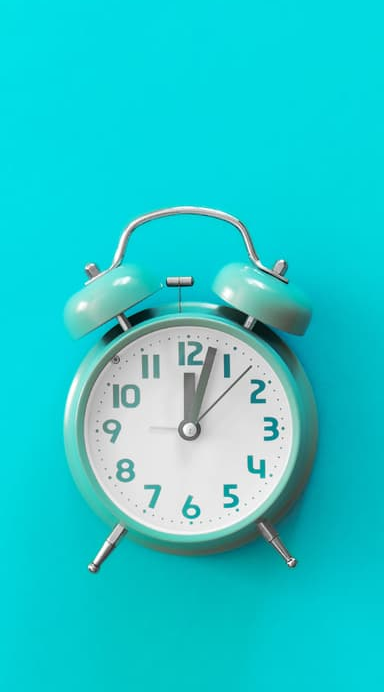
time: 12:02
